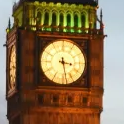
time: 3:28
